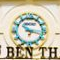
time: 10:17
